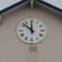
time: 11:52
